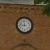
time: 11:46
